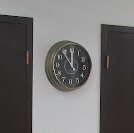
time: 11:53
